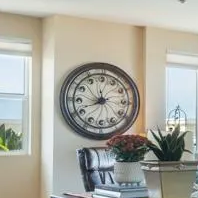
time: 11:41
